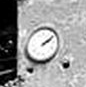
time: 2:09
